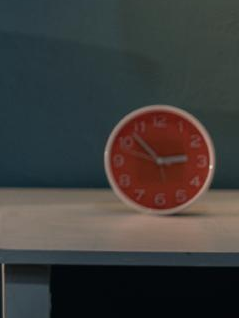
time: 2:52
